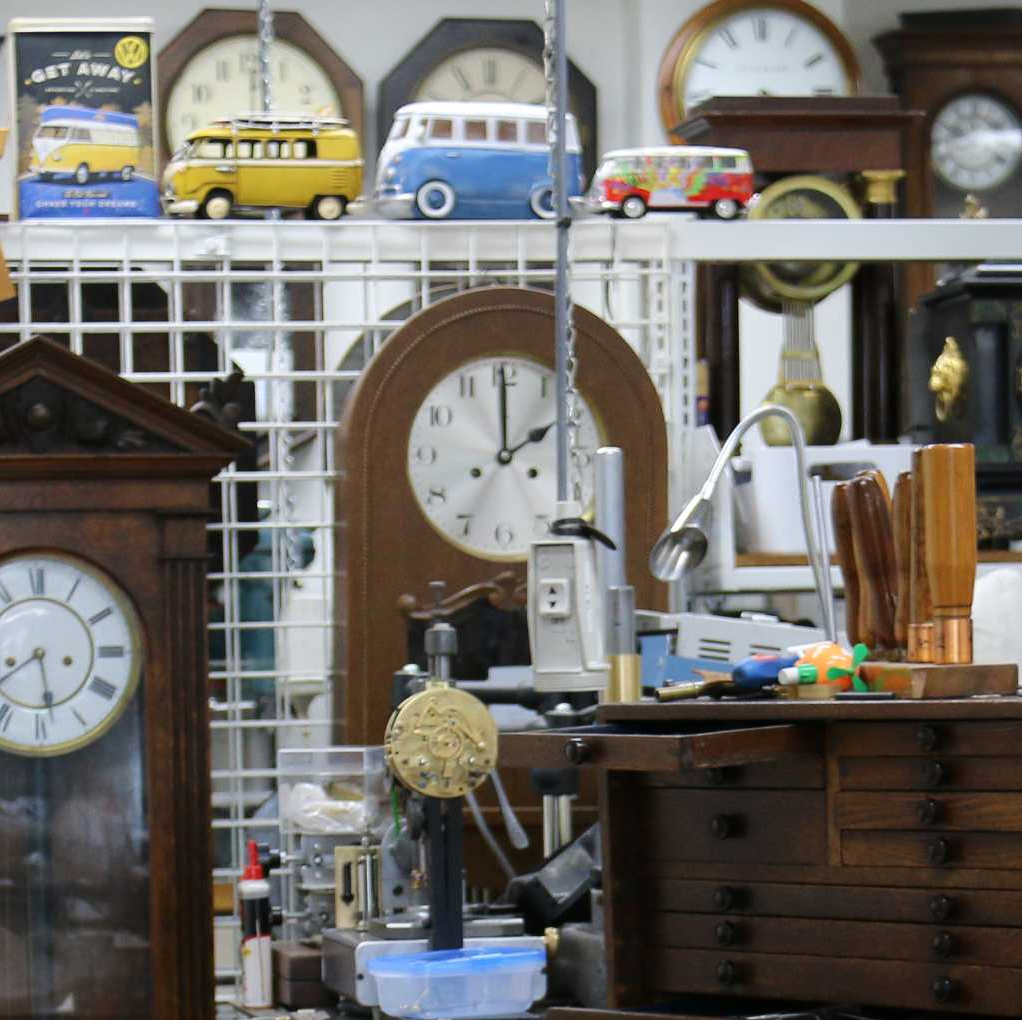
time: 2:00
